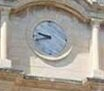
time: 9:42
